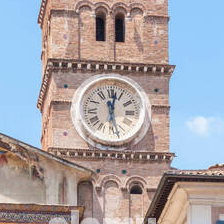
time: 12:27
